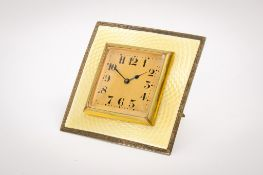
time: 1:50
